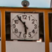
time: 5:54
